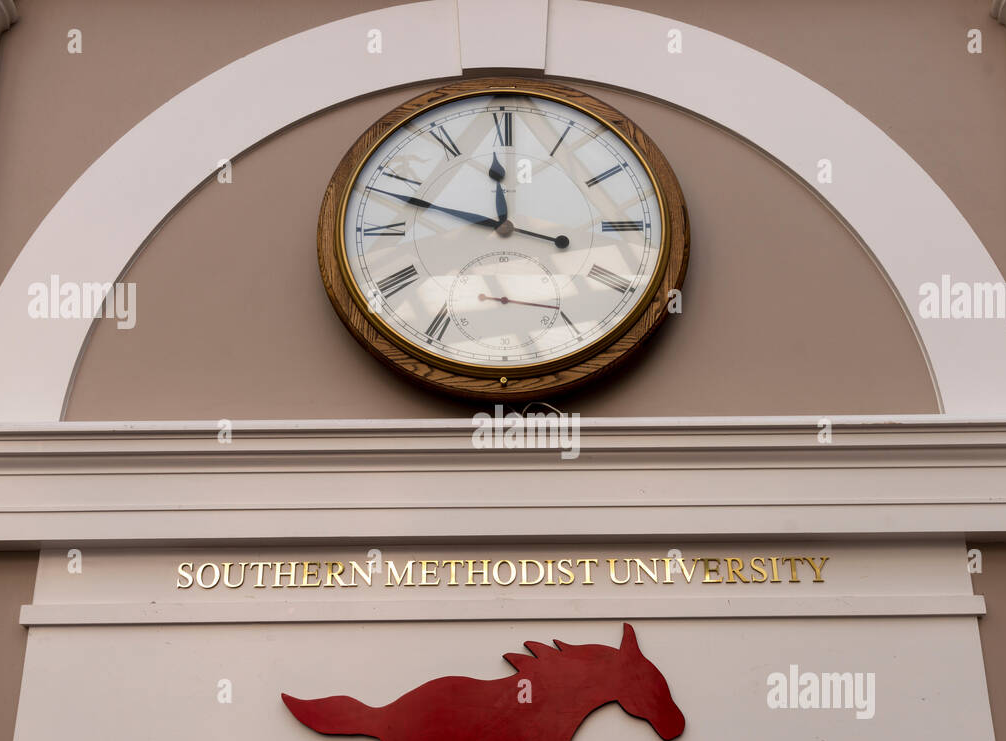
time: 11:48
